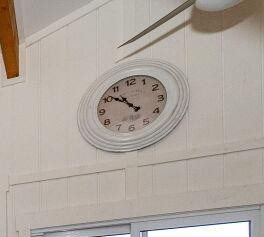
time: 10:51
